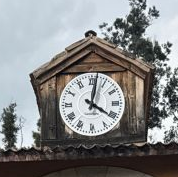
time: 4:02
